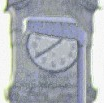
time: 1:39
